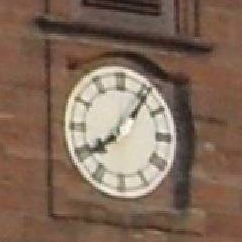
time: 8:06
